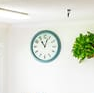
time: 11:03
